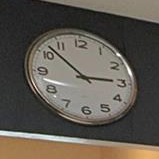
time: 2:52
